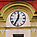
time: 12:35
